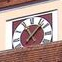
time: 11:07
